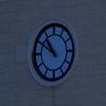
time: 10:50
